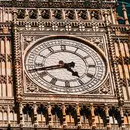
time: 4:42
